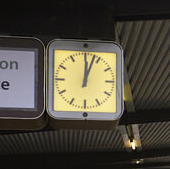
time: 12:03
